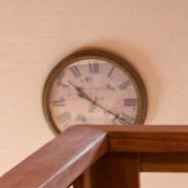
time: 10:20
